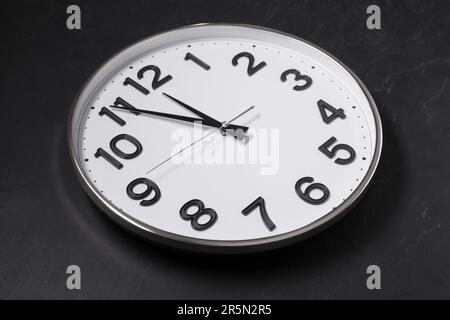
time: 10:50
